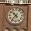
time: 10:36
